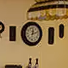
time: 12:11
